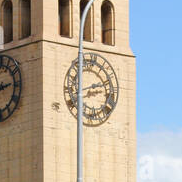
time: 8:12
